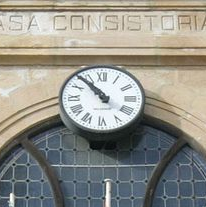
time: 10:53
